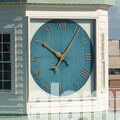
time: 10:06
